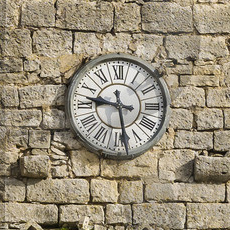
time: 9:28
